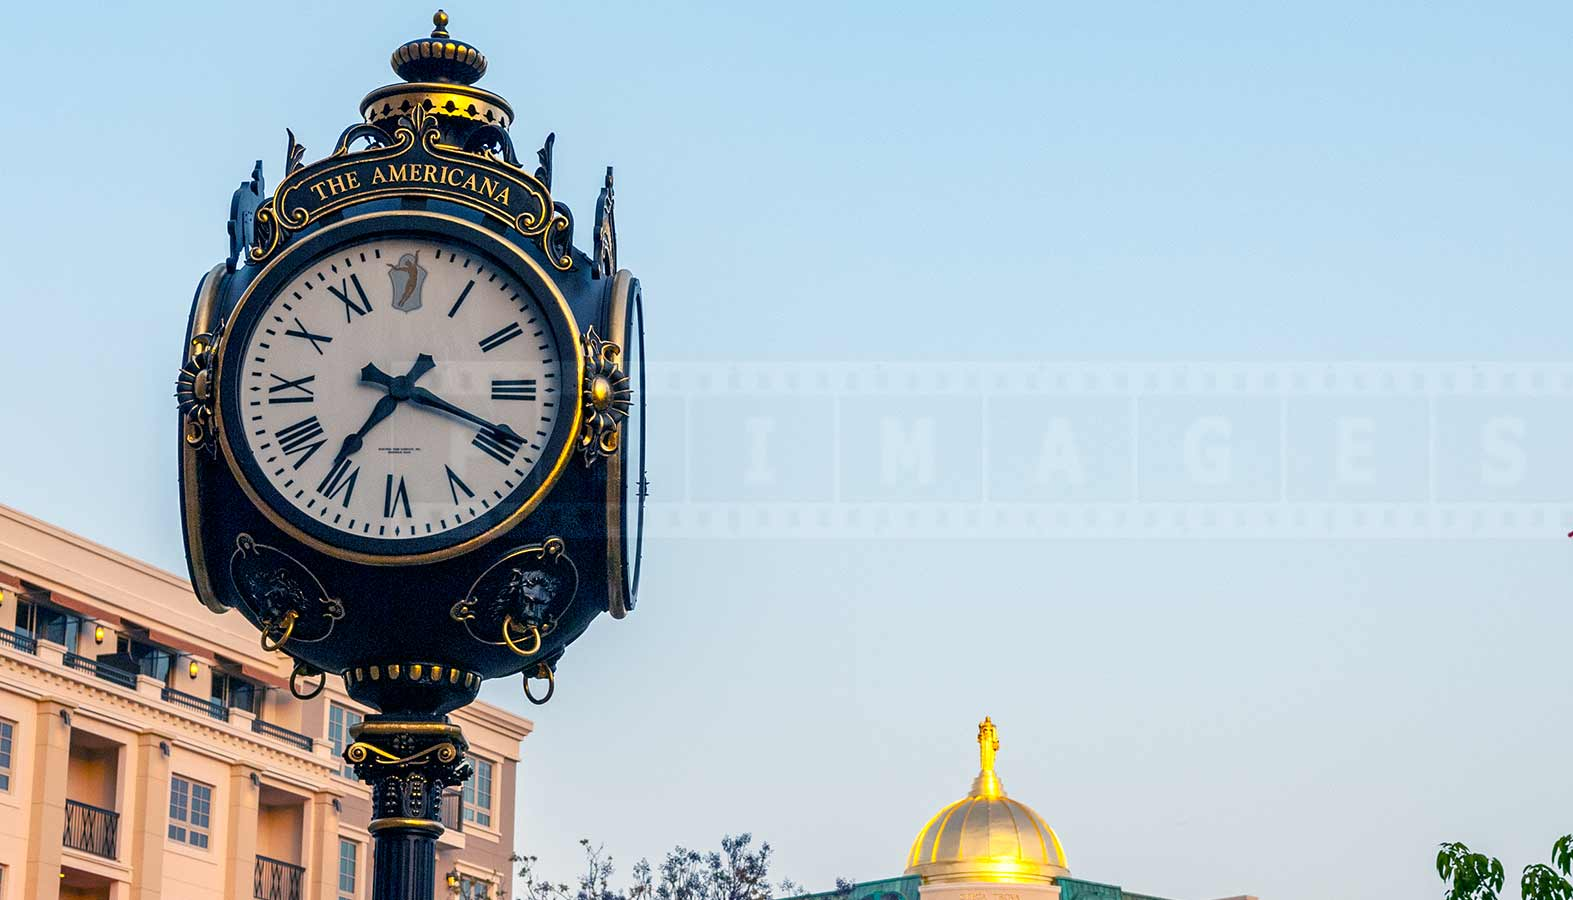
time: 7:18
